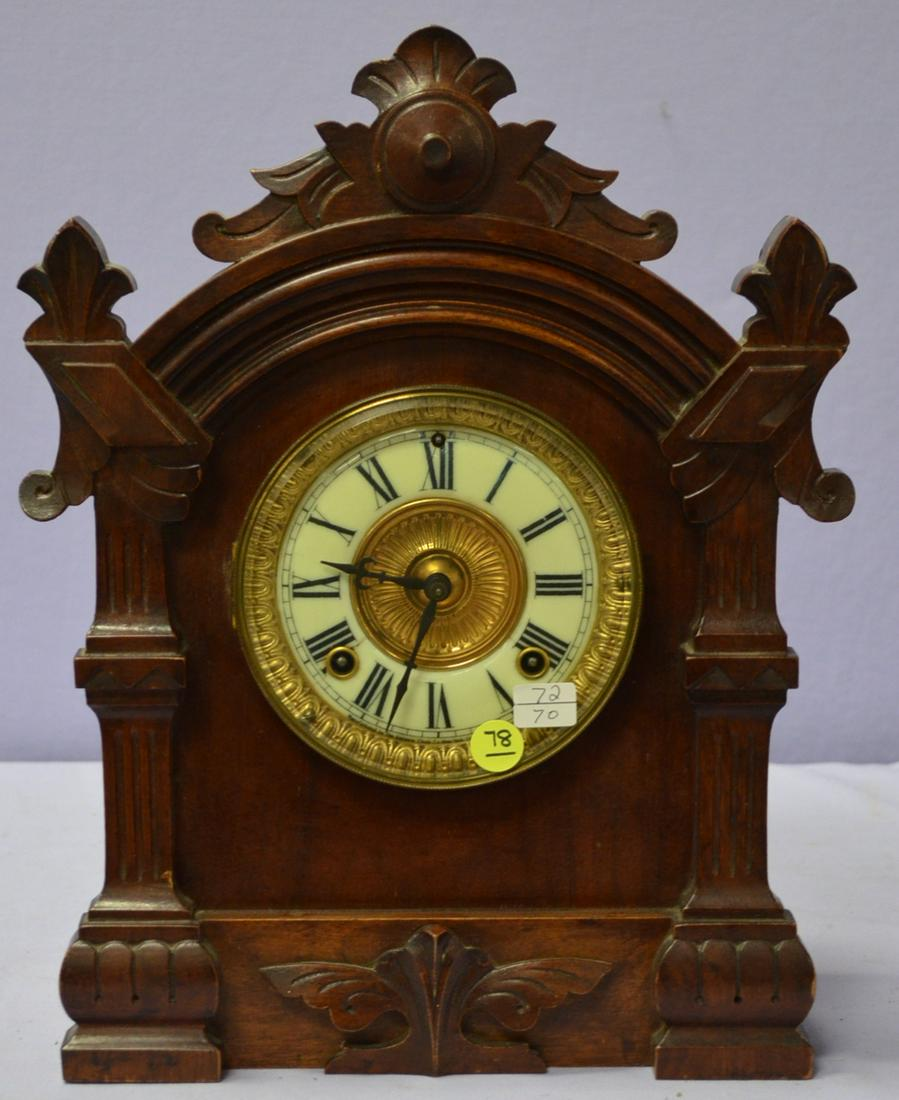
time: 9:34
